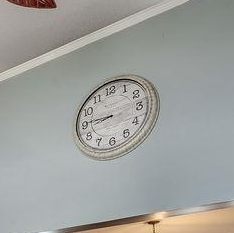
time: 8:45
